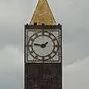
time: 1:46
